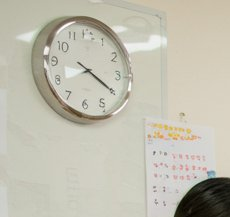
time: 8:19
